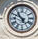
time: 10:49
